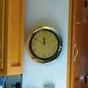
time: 11:49
